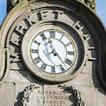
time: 11:22
